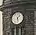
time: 1:28
